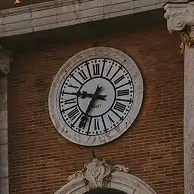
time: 9:34
